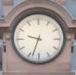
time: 9:33
